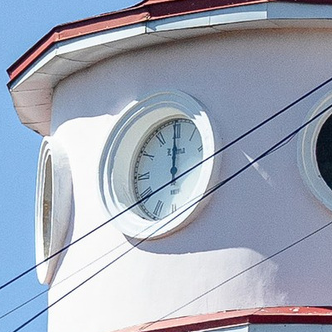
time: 11:59
